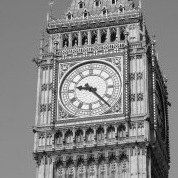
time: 9:23
